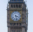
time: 3:28
